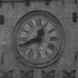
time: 12:41
